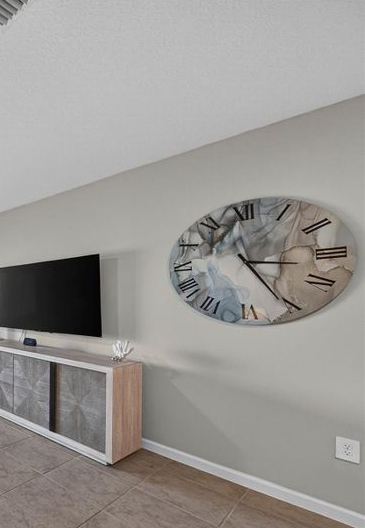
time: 3:25
